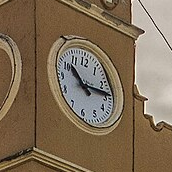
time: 10:13
